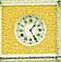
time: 1:25
